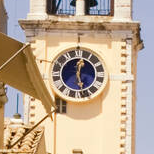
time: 12:26
